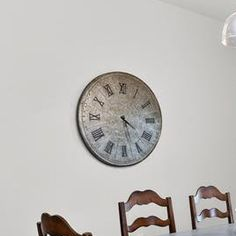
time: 4:28
